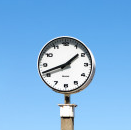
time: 1:41
